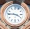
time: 3:46
